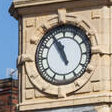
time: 11:55
